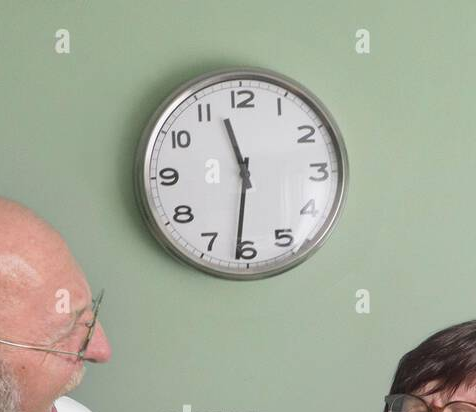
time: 11:31
